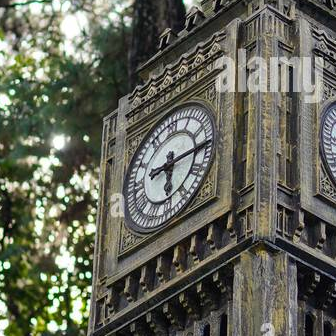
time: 6:15
